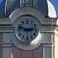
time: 2:48
